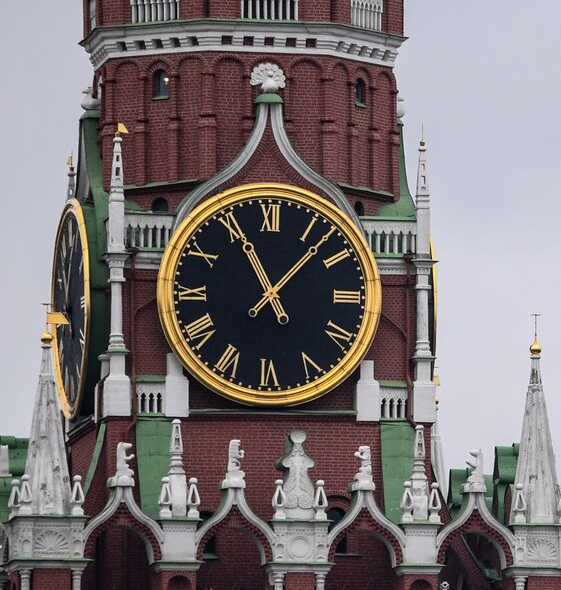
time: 11:07
